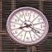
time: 8:20
